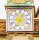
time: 12:55
